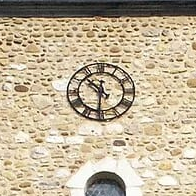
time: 10:31
